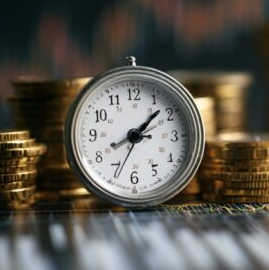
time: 8:07
